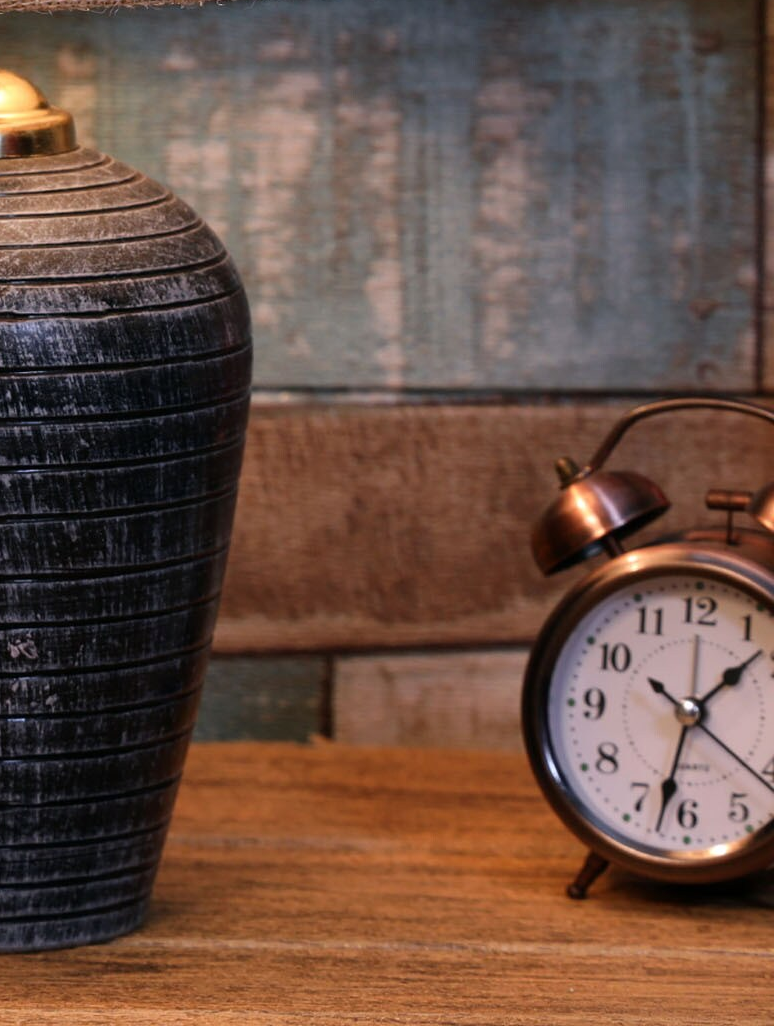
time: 1:32
